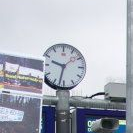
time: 9:32
